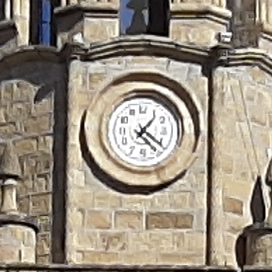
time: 1:21
